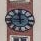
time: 11:46
